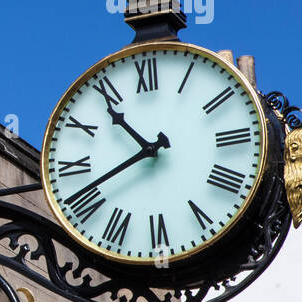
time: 10:41
